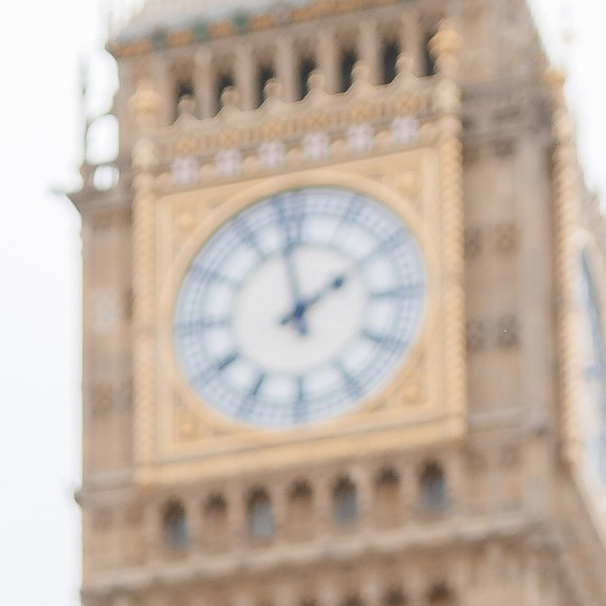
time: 1:58
